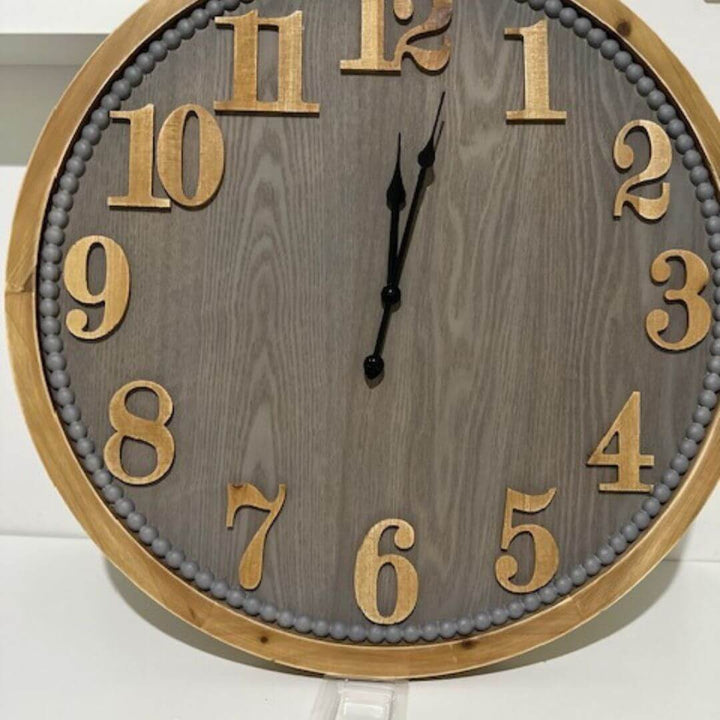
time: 12:02
